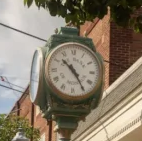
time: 10:24
